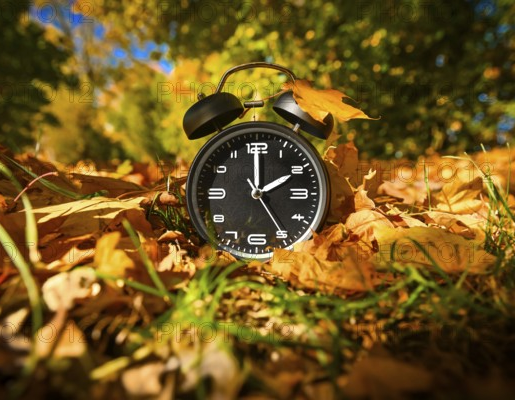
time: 2:00
